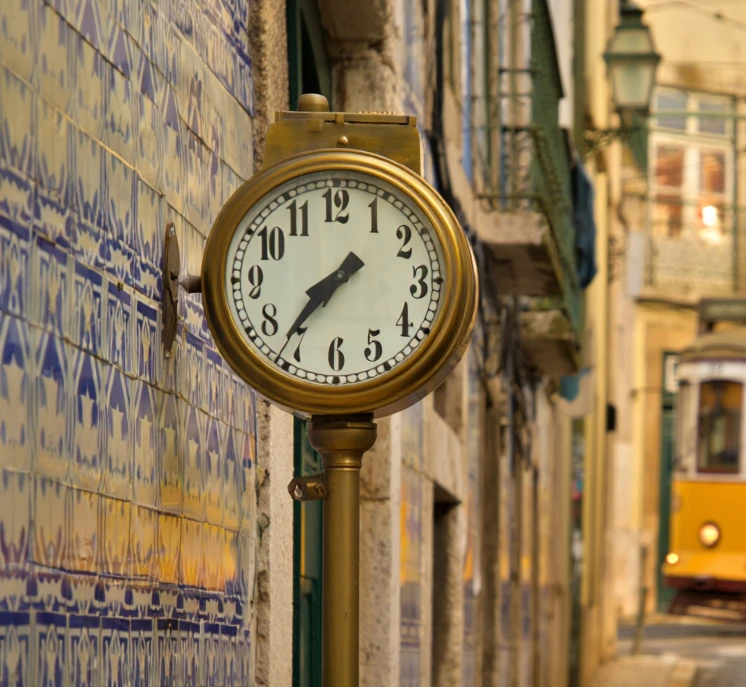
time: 7:36
